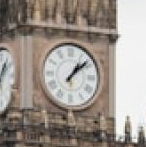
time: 1:08
